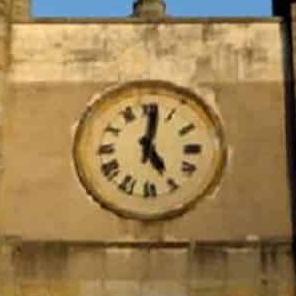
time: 5:01
